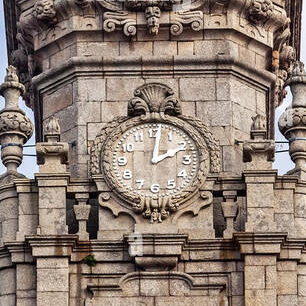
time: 2:01
